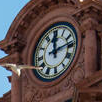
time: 12:13
